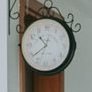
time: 10:38
